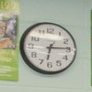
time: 6:14
